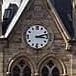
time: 3:12
